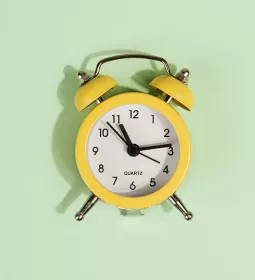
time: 11:13
